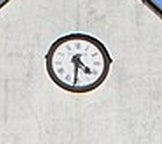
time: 4:31
